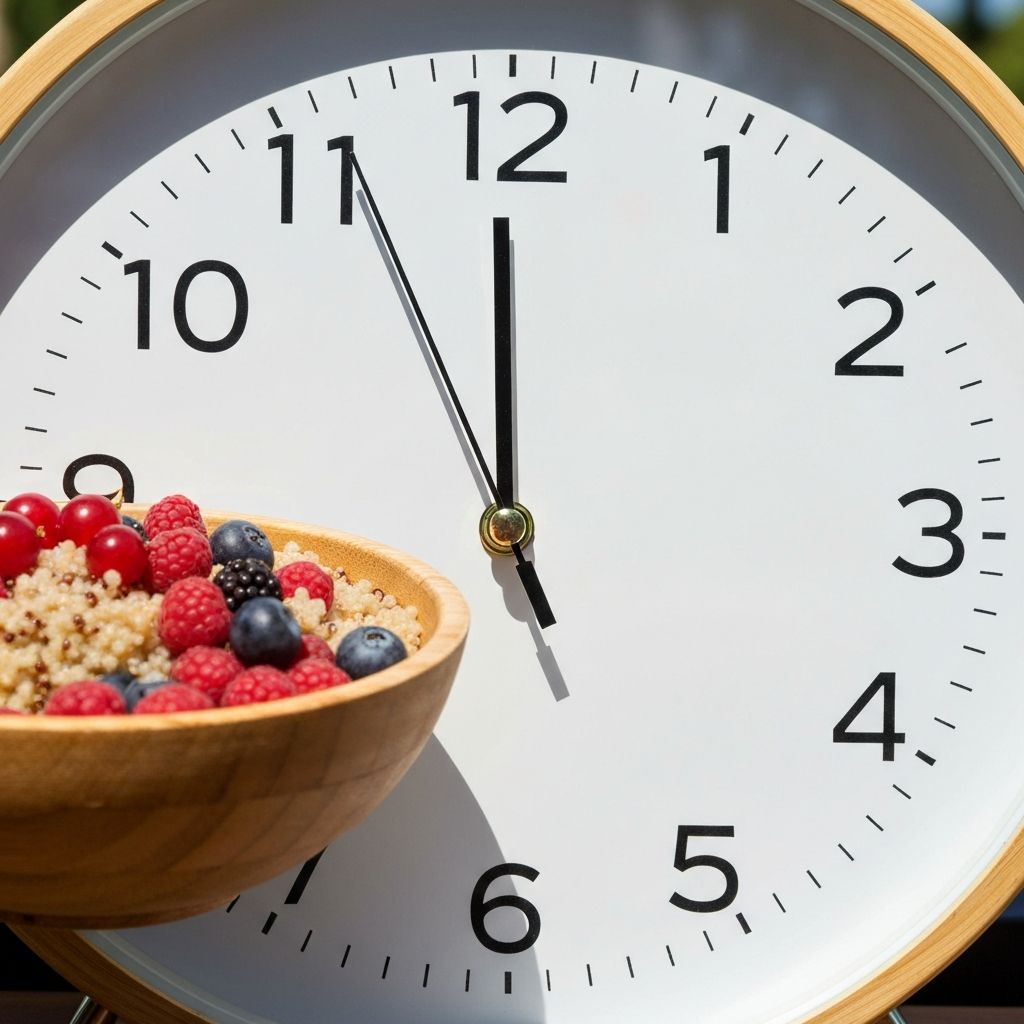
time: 11:56
